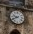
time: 9:40
